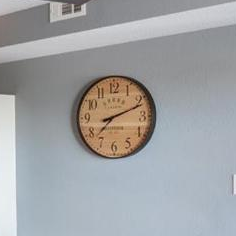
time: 7:11
